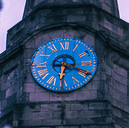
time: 6:18
